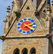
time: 2:21
